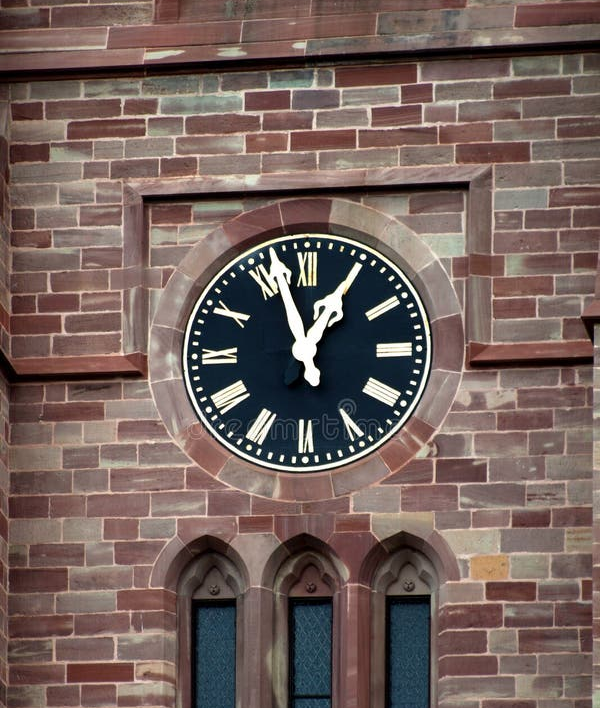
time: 12:57
